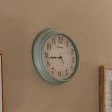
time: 8:43
